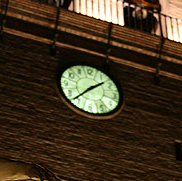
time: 1:37
